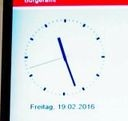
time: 11:26
